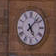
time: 5:07
